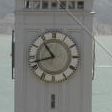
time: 10:42
